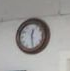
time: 12:28
